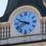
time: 9:38
